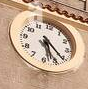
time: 5:21
